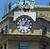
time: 1:13
